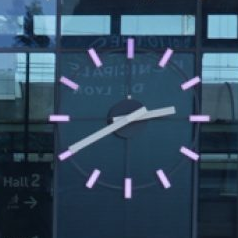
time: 2:40
